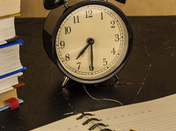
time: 7:30
